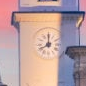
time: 7:59
